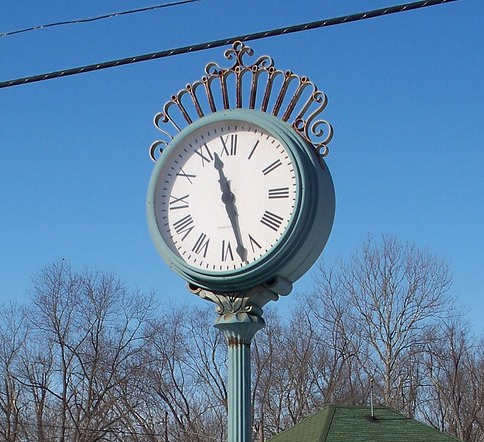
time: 11:27
